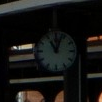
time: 11:03
